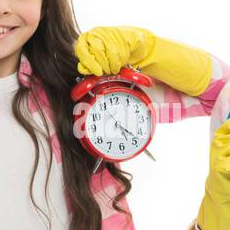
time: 5:22
